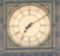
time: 7:09
